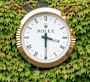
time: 3:29
